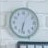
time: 6:32
